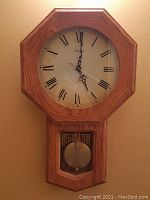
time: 5:00
